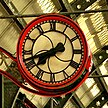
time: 7:42
